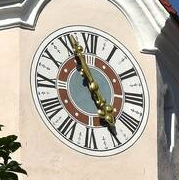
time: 4:56
